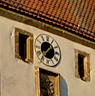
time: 1:36
